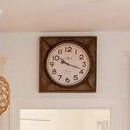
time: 10:18
